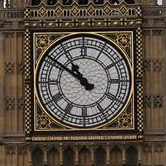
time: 10:50
